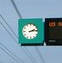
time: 2:13
